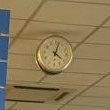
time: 4:02
